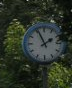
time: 1:55
